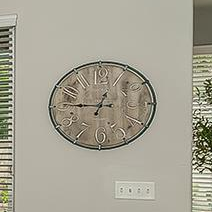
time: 12:45
